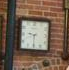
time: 9:30
